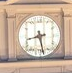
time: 8:28
